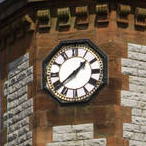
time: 1:38
